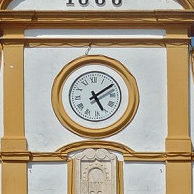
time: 5:09
